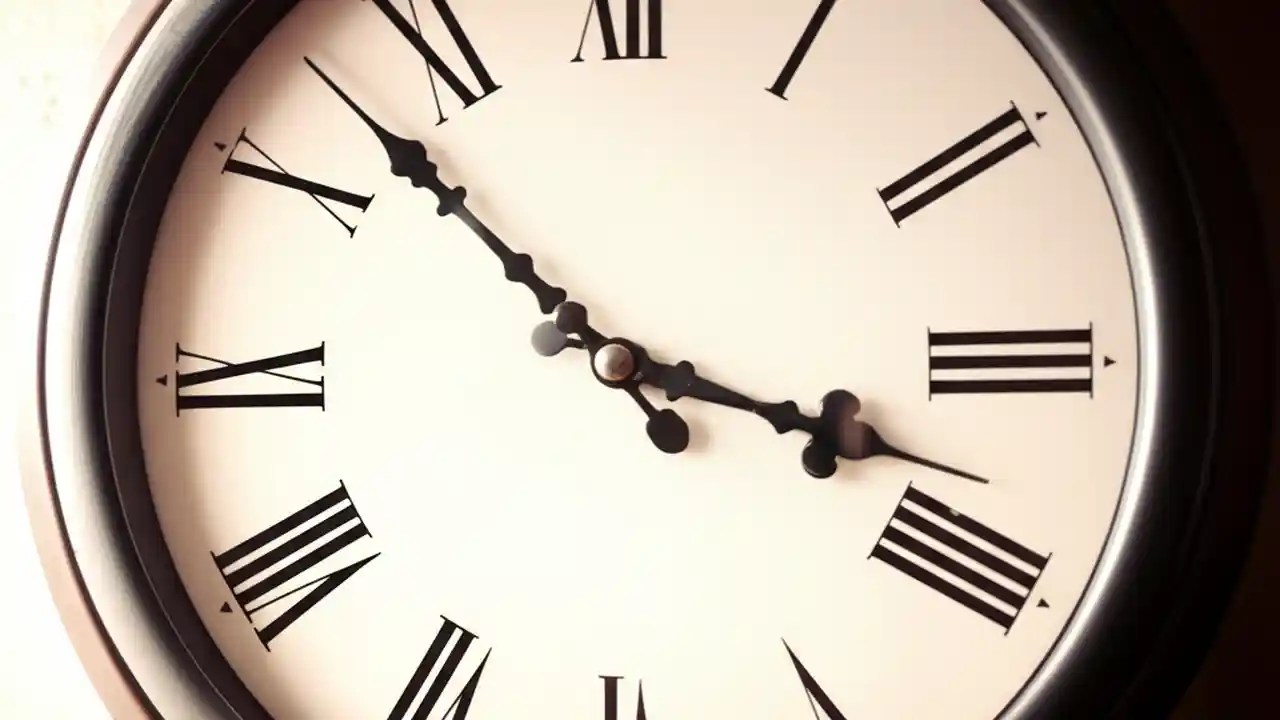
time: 3:52
